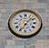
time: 7:07
